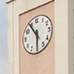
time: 5:54
